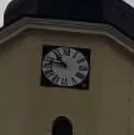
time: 10:47
